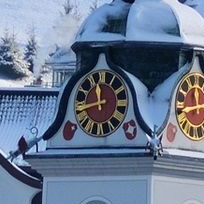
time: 11:42
